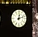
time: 12:12
